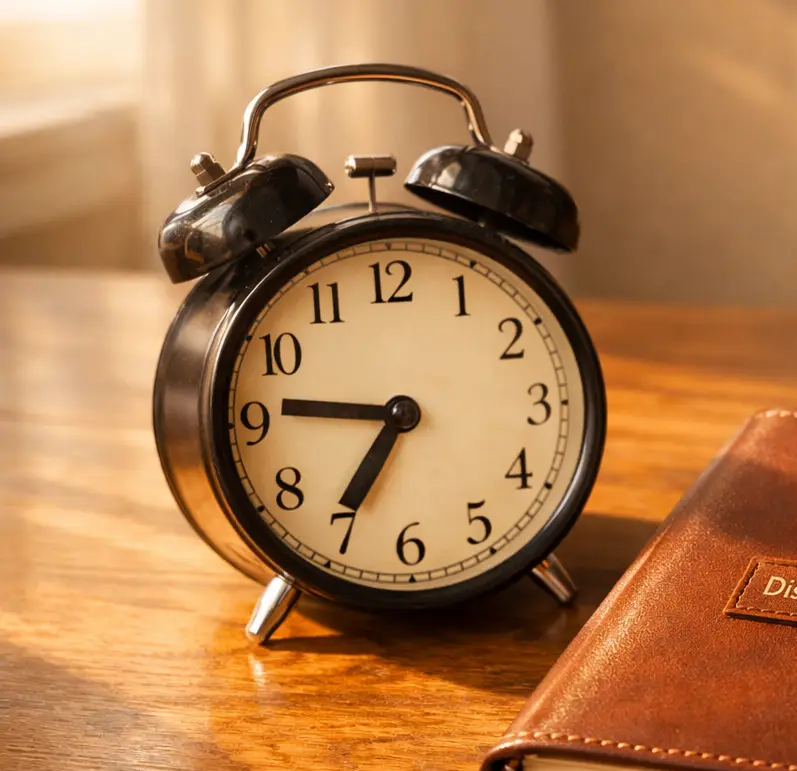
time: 6:46
